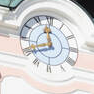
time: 11:41
